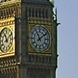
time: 11:08
